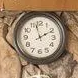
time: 1:57
